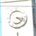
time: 4:17
